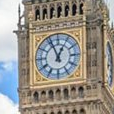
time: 12:56
